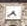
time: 4:37
